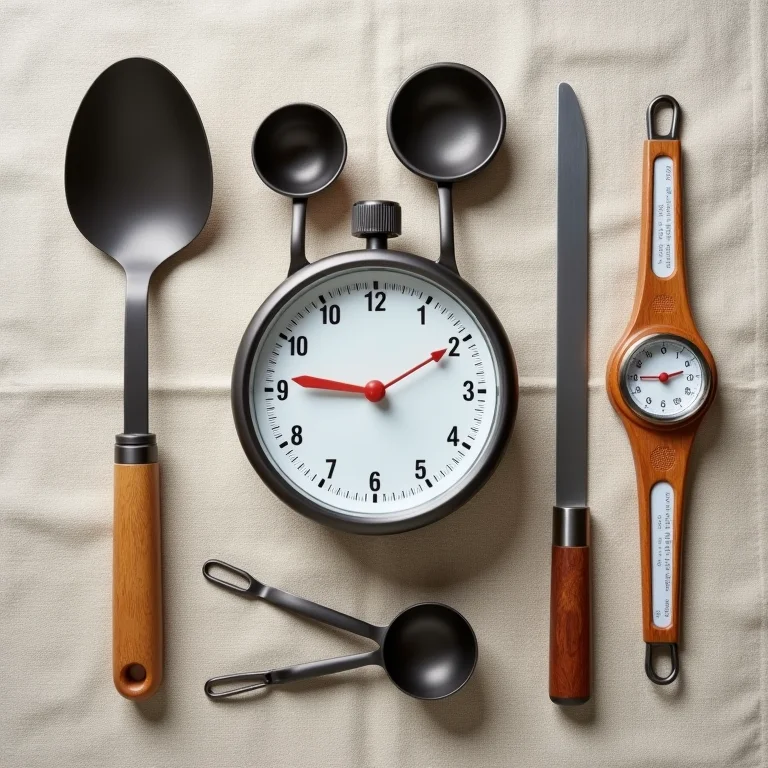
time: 9:10
